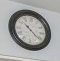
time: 10:21
